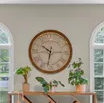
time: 10:32
